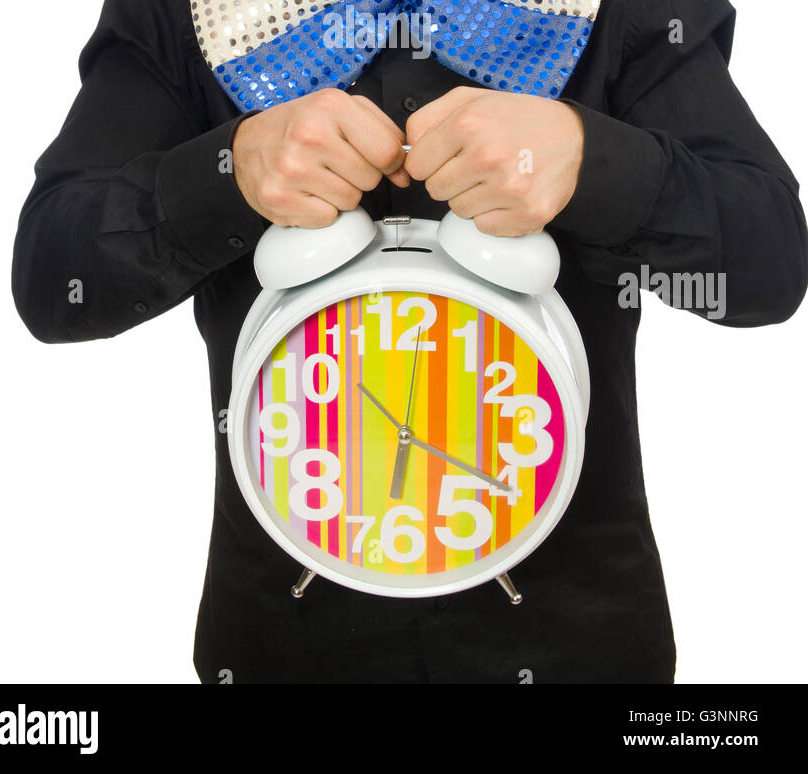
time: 6:20
